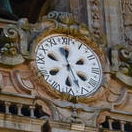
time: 11:48
